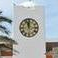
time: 11:57
